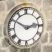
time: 2:50
